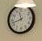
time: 11:42
